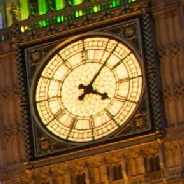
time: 4:07
